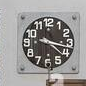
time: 4:17
